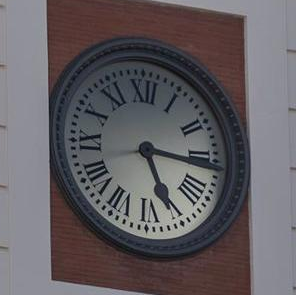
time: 5:15
